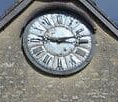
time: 9:12
